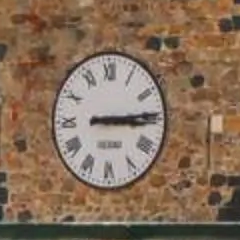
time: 3:14
